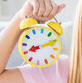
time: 8:10
